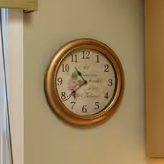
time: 10:38
